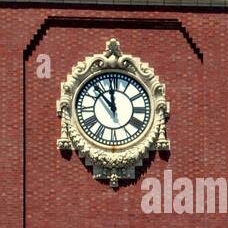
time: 11:52
